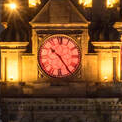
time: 10:24
